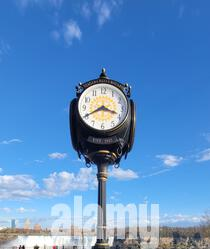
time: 3:40
